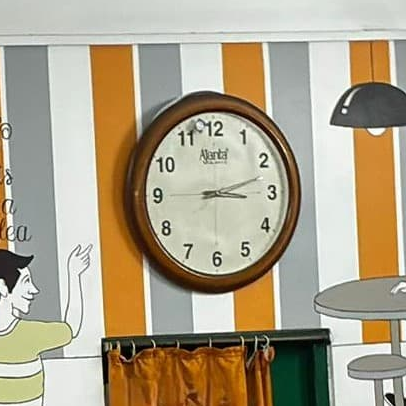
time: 3:12
